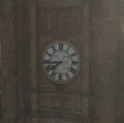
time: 7:43
